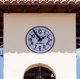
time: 1:54
